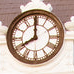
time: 7:59
